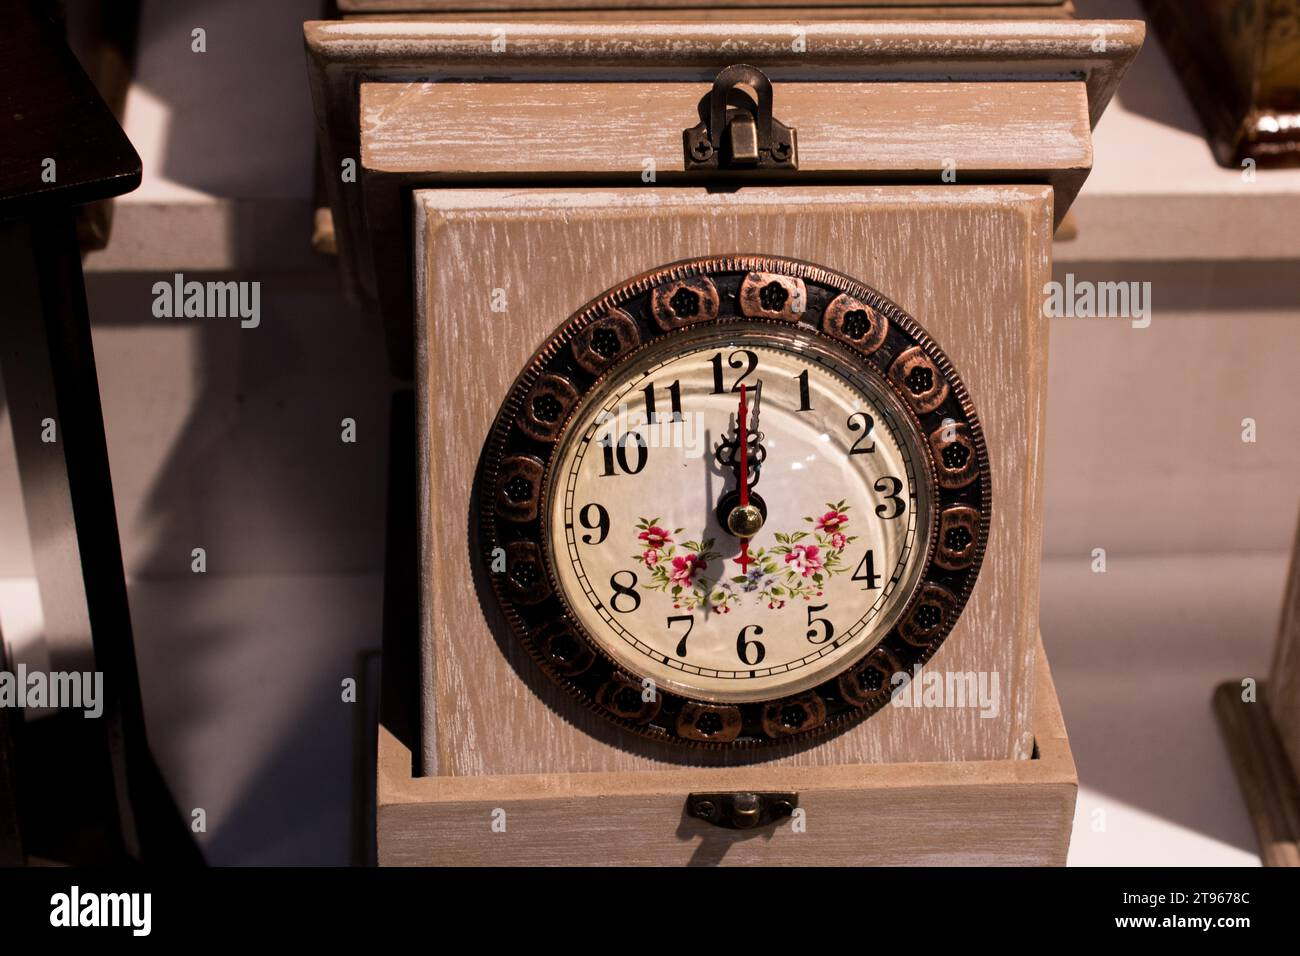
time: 7:01
